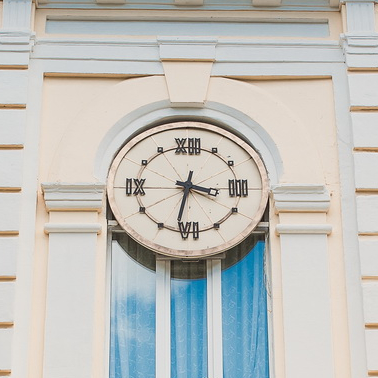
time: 3:31
